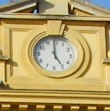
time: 4:59
